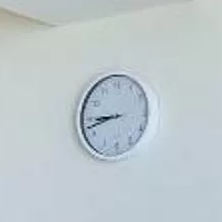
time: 8:42
